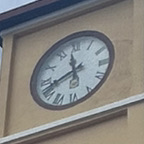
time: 11:42
